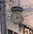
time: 12:13
